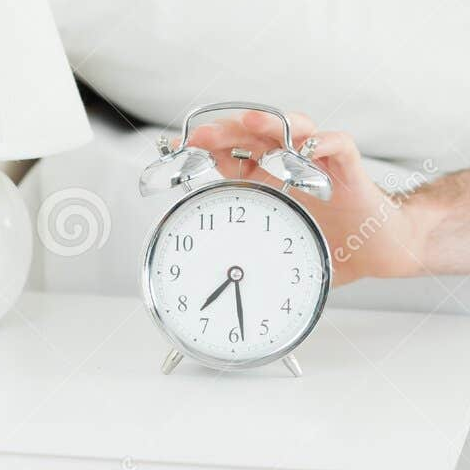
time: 7:28
